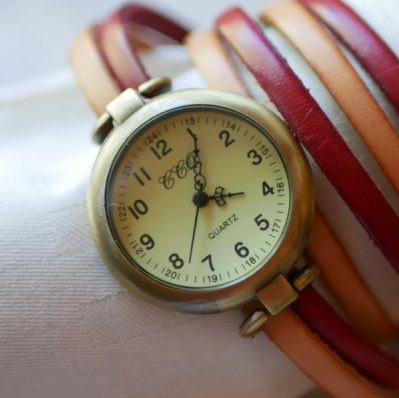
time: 3:00
